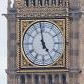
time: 4:58
